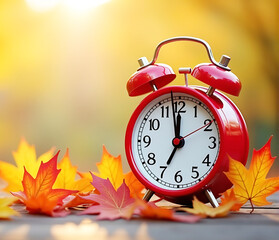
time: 6:58
